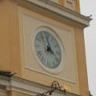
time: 3:58
